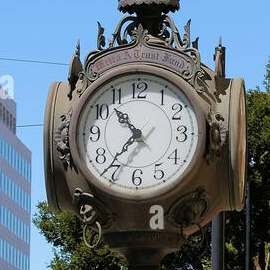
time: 10:36
